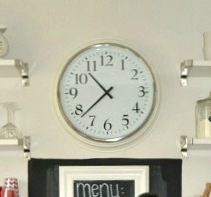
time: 10:37
